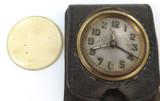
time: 8:18
